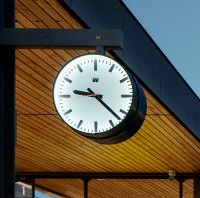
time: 9:22
